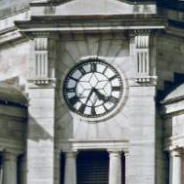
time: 4:34
